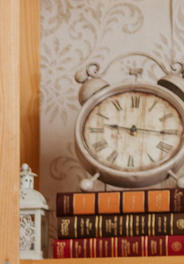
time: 9:15
